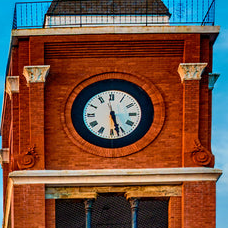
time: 5:27
